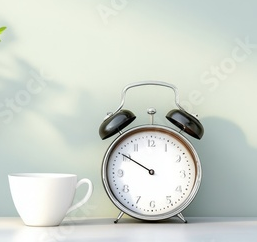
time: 9:50
